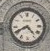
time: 4:40
